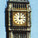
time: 3:02
